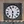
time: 5:55
